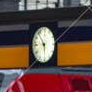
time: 5:54
